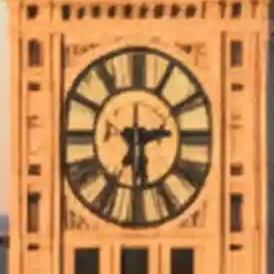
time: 2:29
